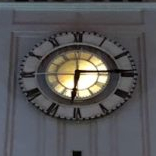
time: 6:14
